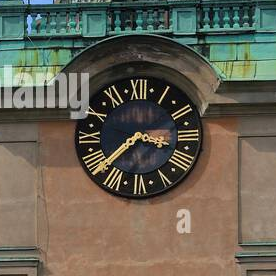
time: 3:38
